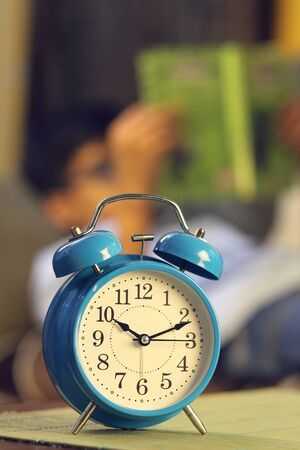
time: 10:11
